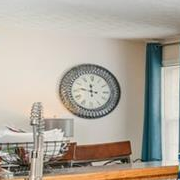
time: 11:47
